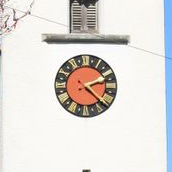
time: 2:21
